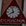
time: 7:57
